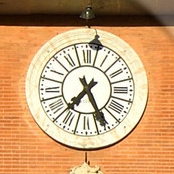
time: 7:25
